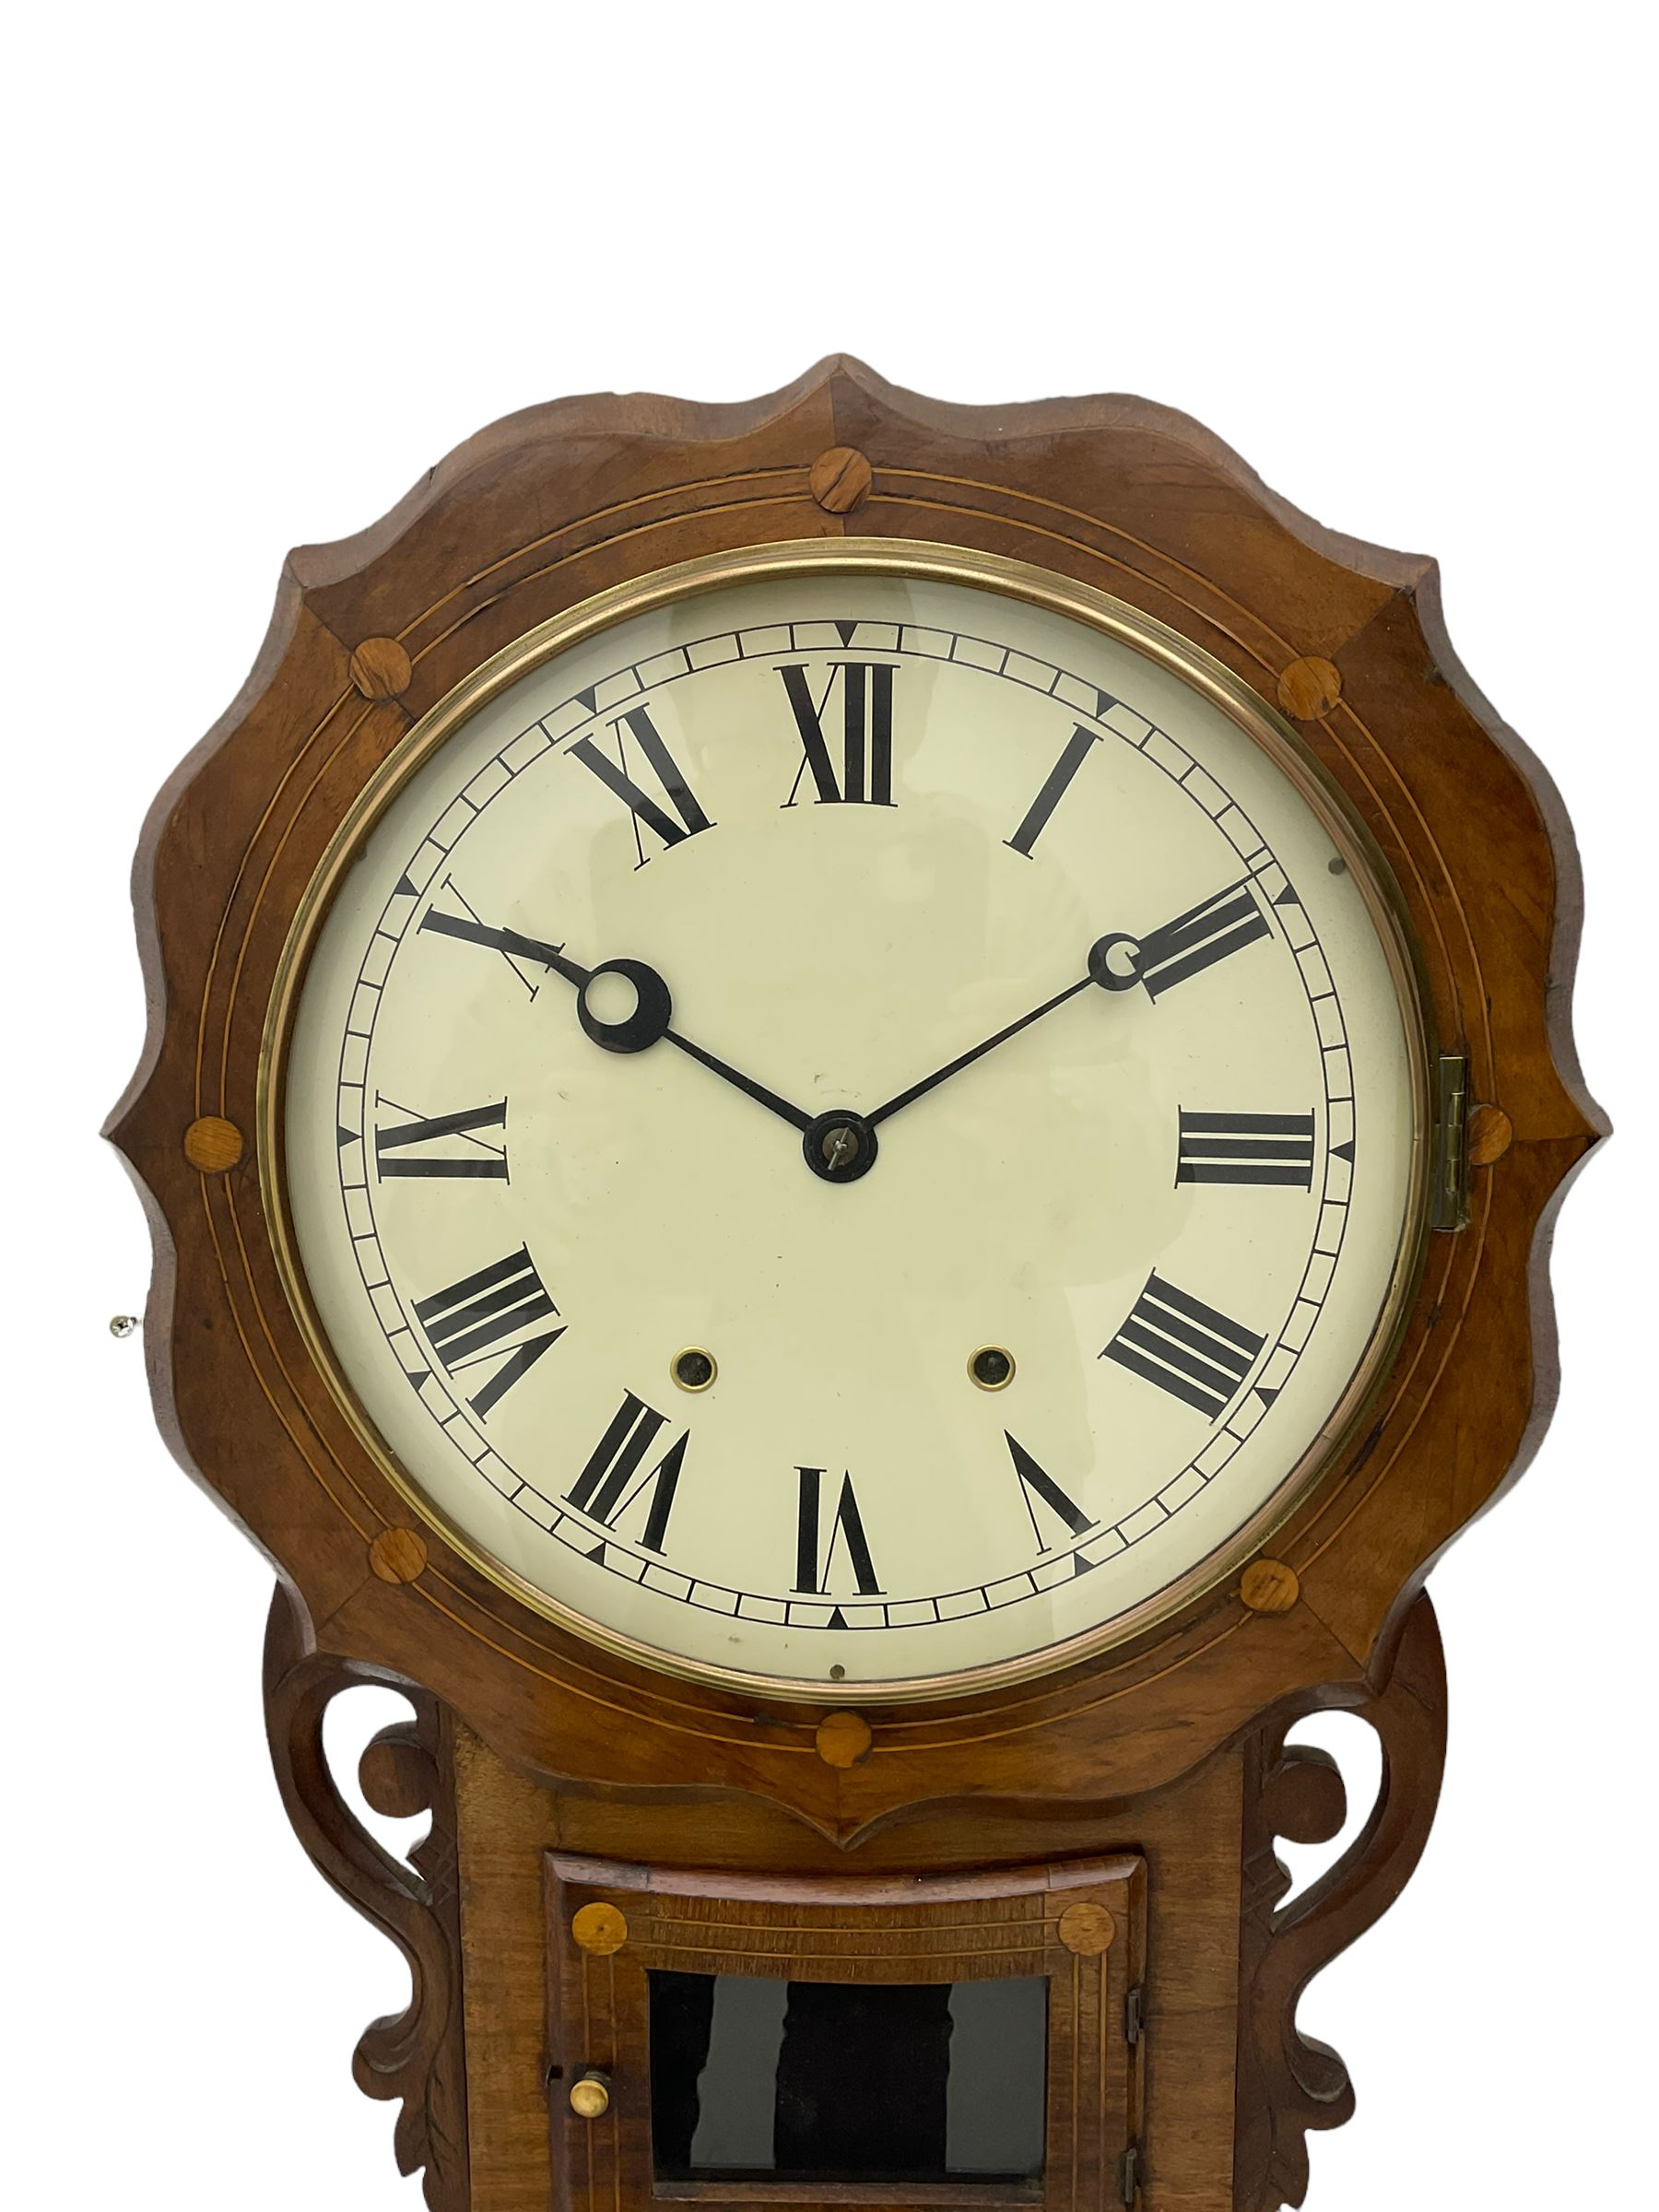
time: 10:09
